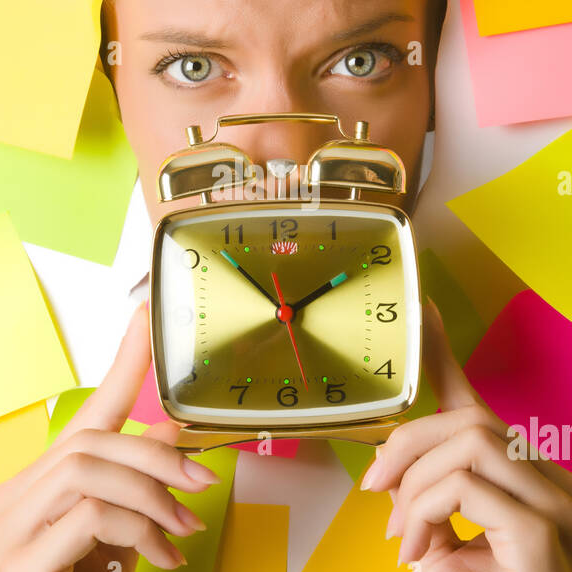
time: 1:52
